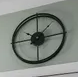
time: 1:13
